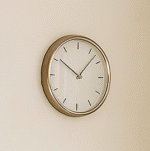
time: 10:07
